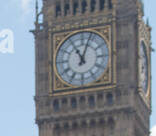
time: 11:03
